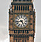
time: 4:43
